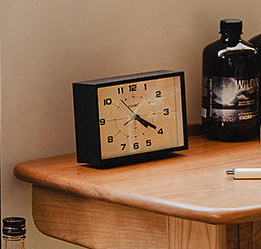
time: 4:20
